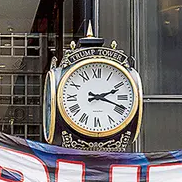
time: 2:18
